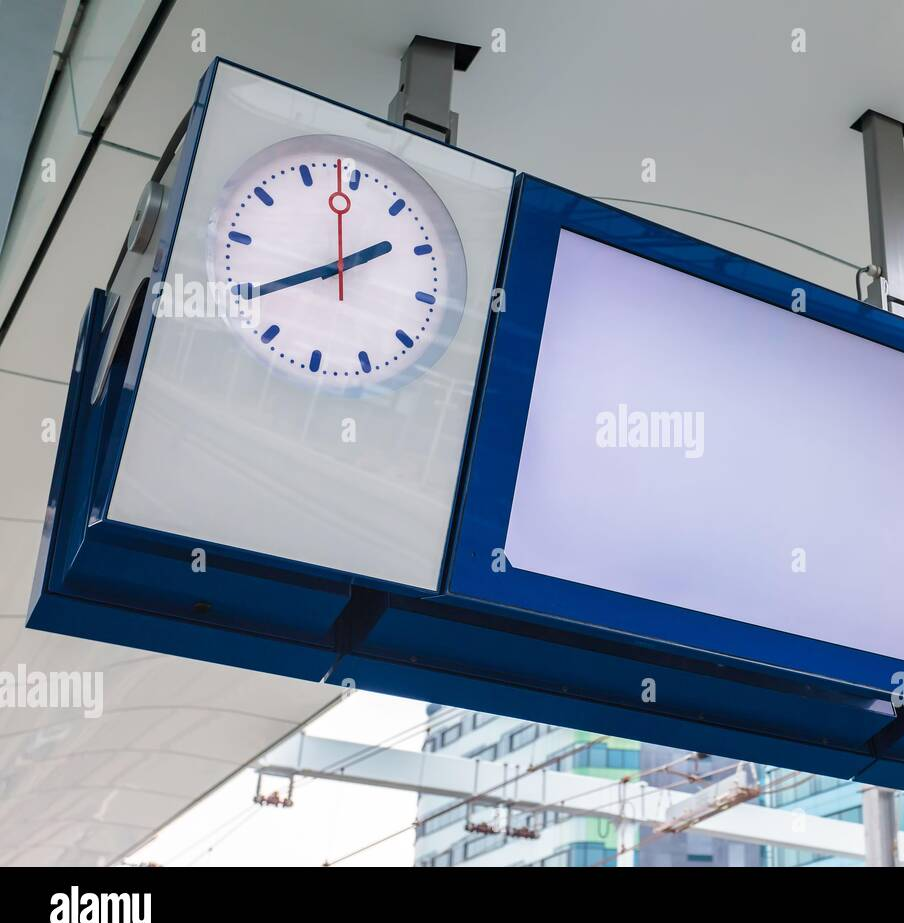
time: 1:39
